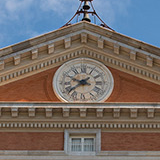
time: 9:38
